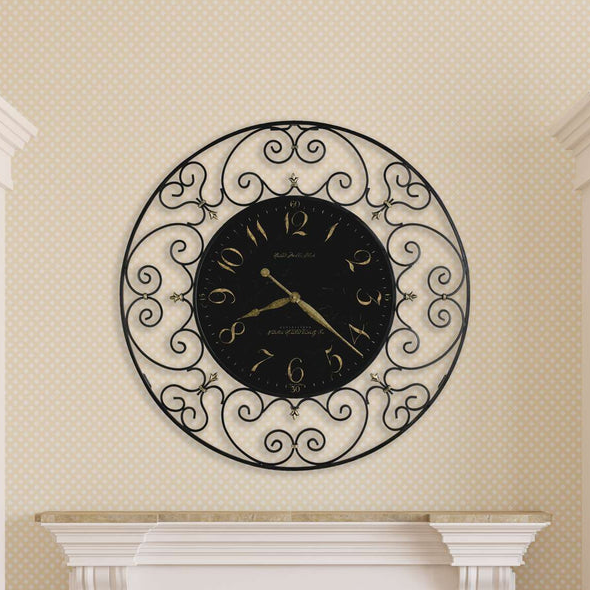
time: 8:21
